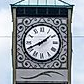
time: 1:41
